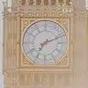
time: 7:11
